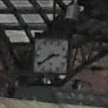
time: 2:39
